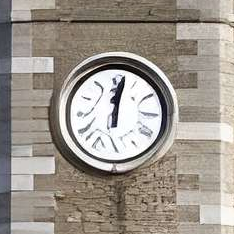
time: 12:01
